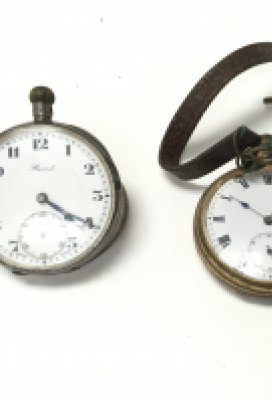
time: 4:20
